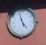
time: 4:57
